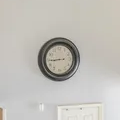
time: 8:44
